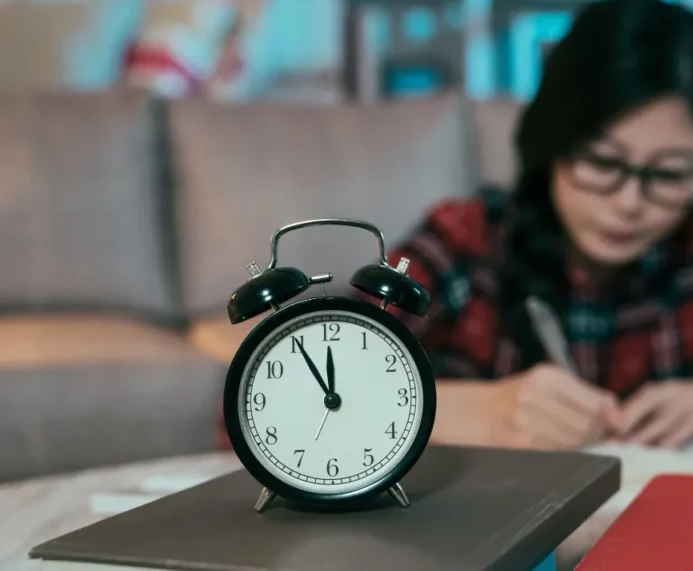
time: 11:54
